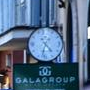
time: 4:32
